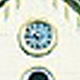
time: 10:45
